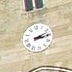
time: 3:12
